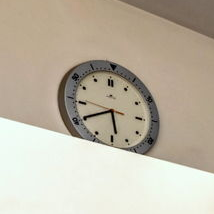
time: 5:40
